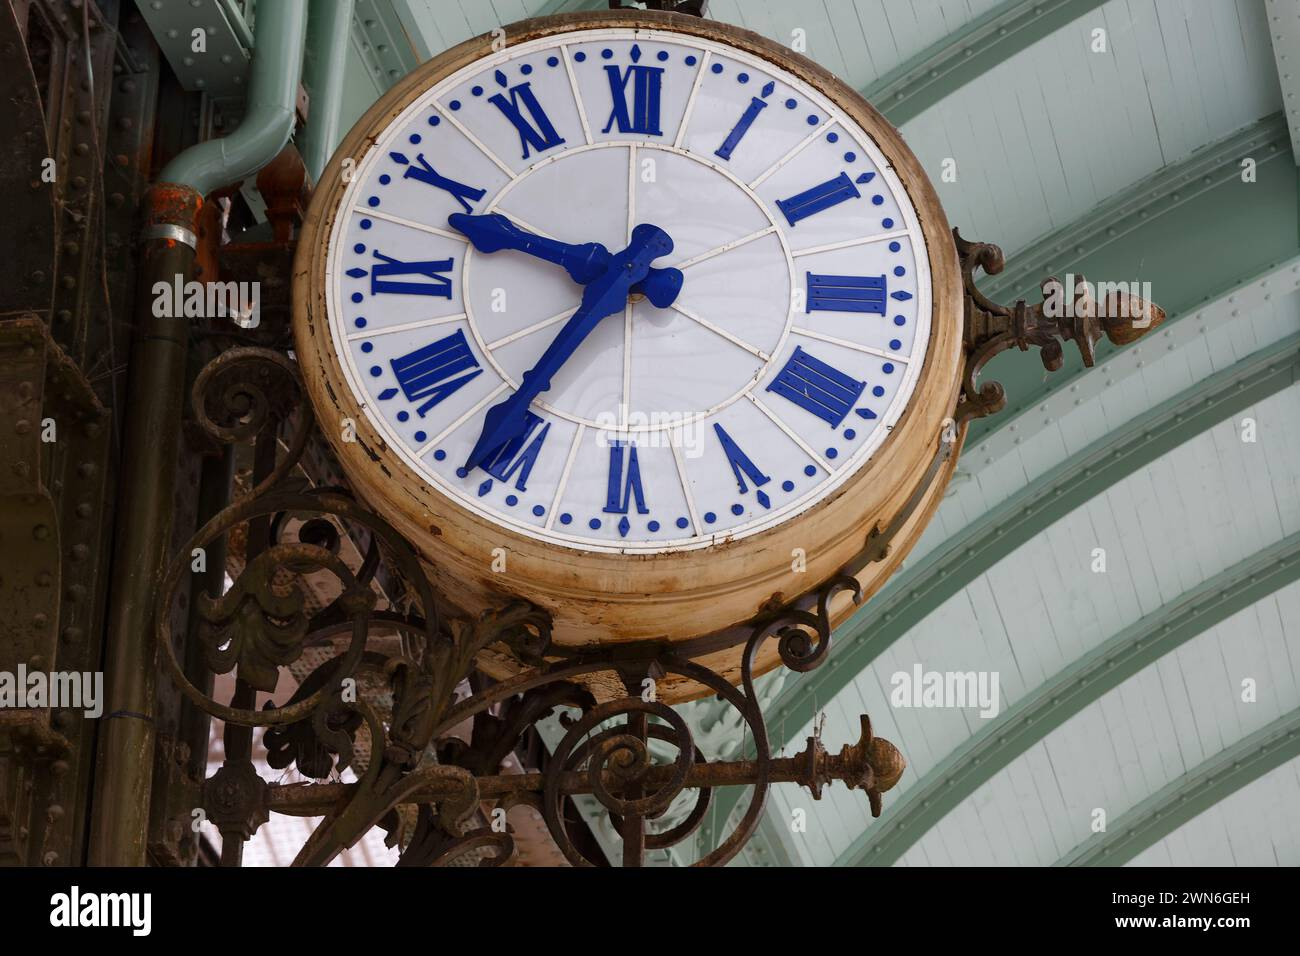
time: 9:36
